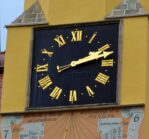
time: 2:12
